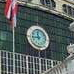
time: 11:44
